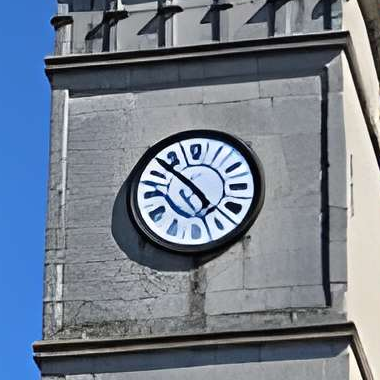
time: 4:52
